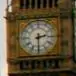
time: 2:30
